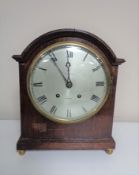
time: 11:54
